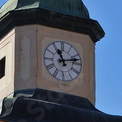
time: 11:12
